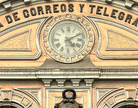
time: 5:10
